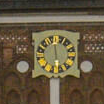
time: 5:59
